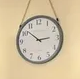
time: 2:51
